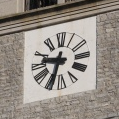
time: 9:33
